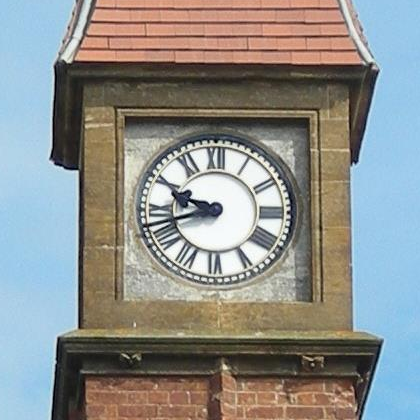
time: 9:42
